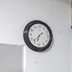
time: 6:37
